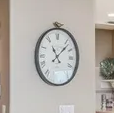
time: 11:07
